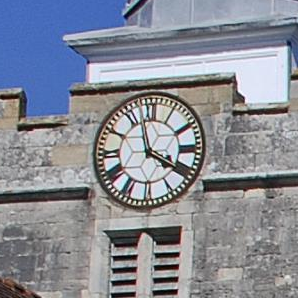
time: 3:57
